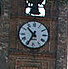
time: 10:34
